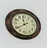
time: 11:39
